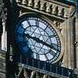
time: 9:17
